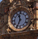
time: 11:34
